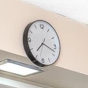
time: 7:17
